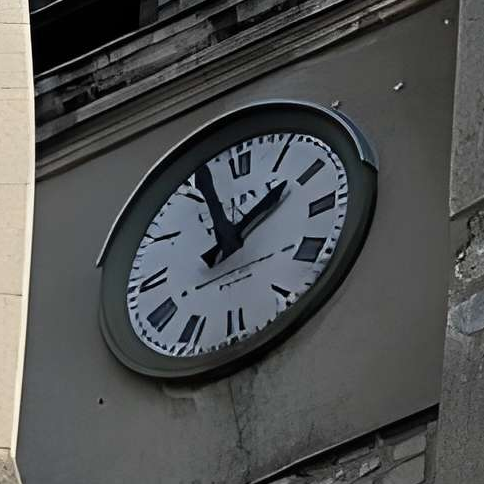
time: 1:56
